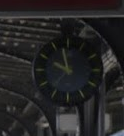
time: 9:57
